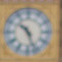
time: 10:26
